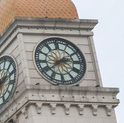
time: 2:38
